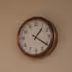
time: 1:20
